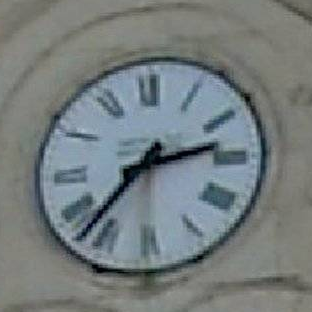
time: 2:36
